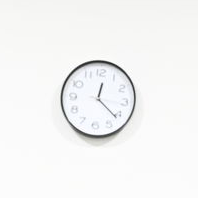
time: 12:21
